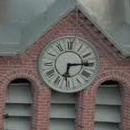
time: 6:14
